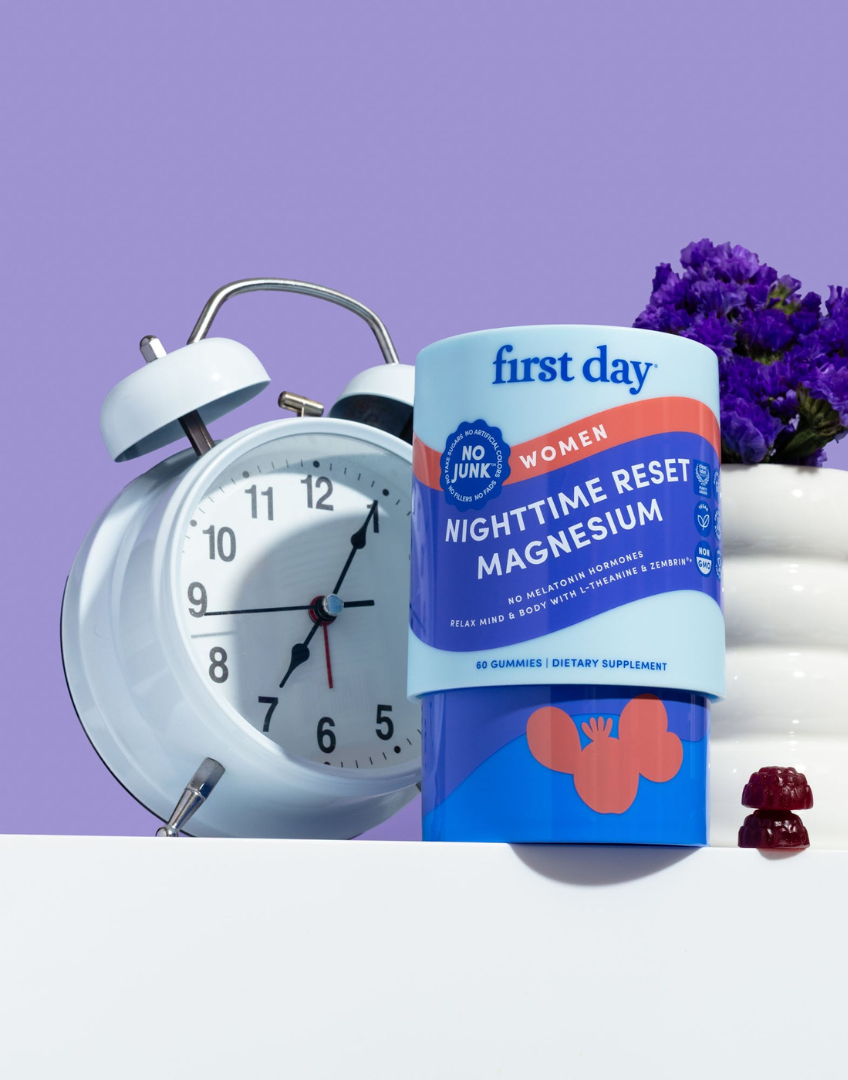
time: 7:04
